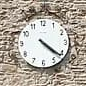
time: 4:21
